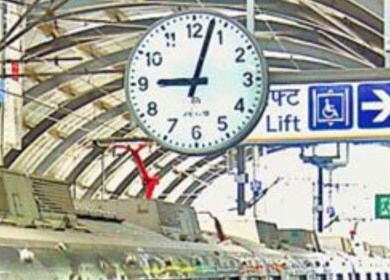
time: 9:02
